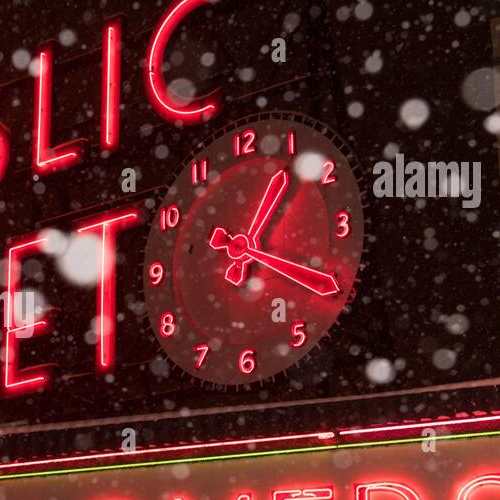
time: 1:19
